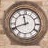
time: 11:41
